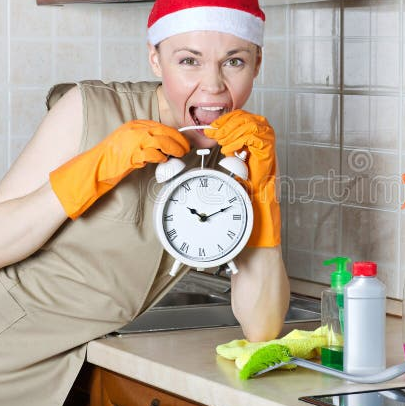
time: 10:11
